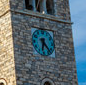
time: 6:23
